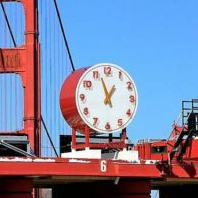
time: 12:57
